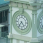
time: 4:35
